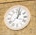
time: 1:02
